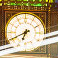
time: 6:40
